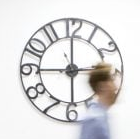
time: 2:45
